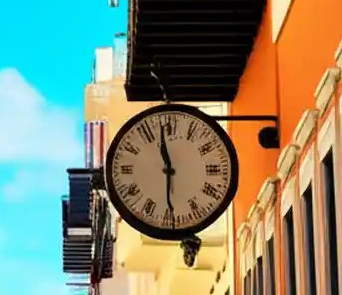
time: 11:30
